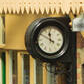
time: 11:49
